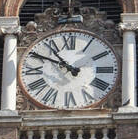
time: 10:49
